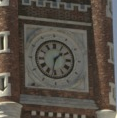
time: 1:32
